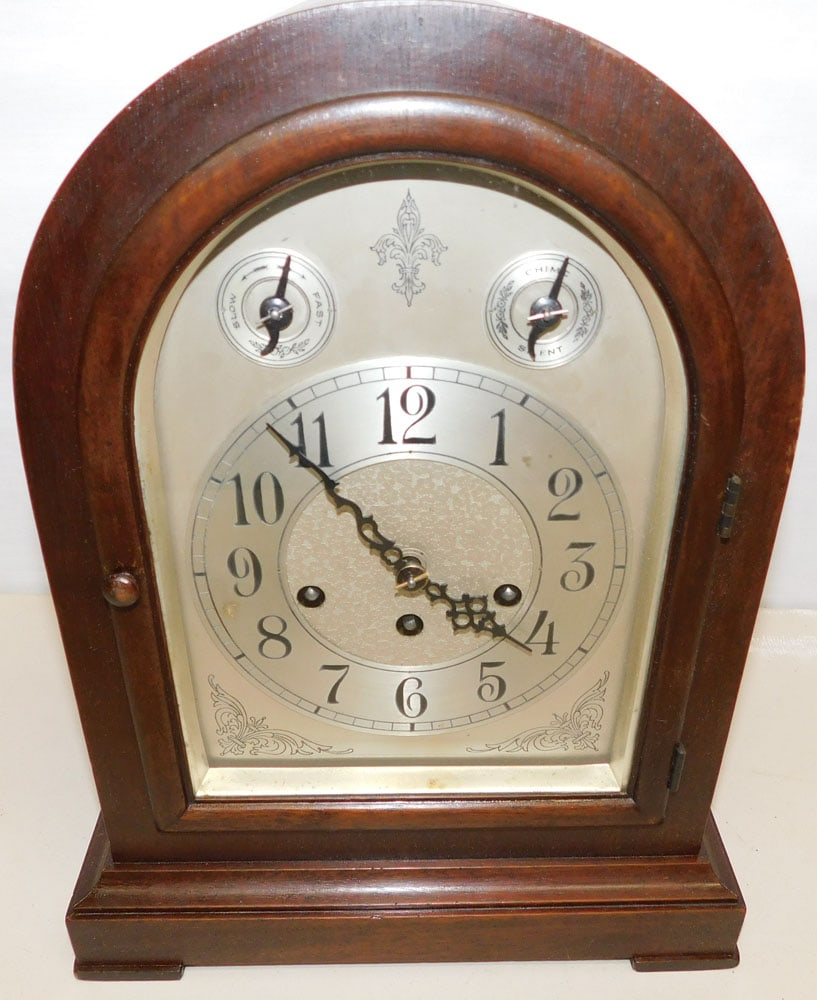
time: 3:53
